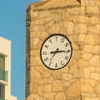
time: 7:15
